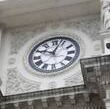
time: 10:03
